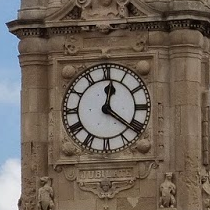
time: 12:21
